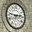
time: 2:46
